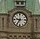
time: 9:36
